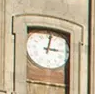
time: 3:01
